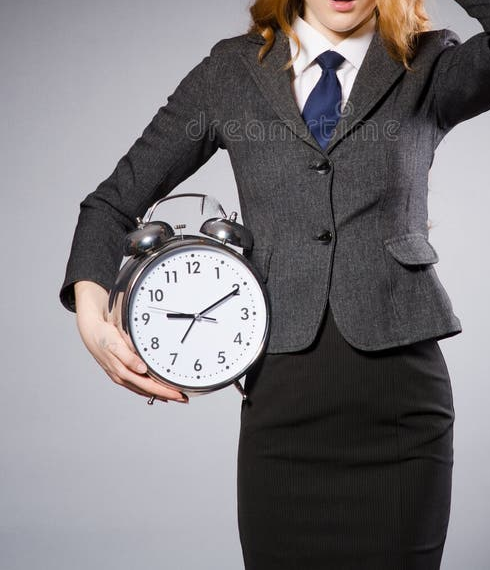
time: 9:10
